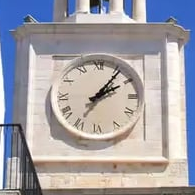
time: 2:06
